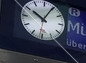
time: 10:04
